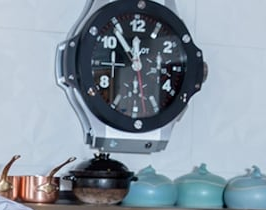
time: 11:53
